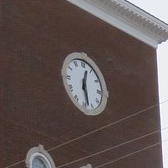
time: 12:27
